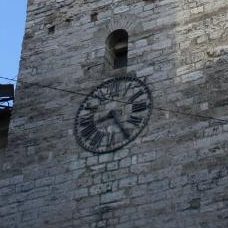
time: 8:24
